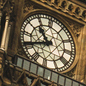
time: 10:40
